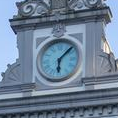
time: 6:07
